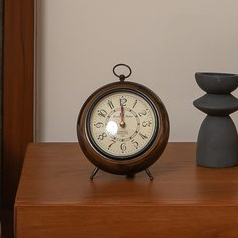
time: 11:59
